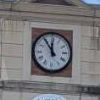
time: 11:54
